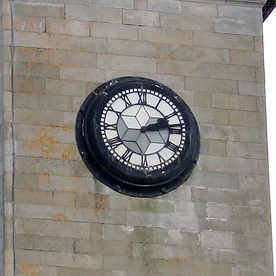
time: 2:13
